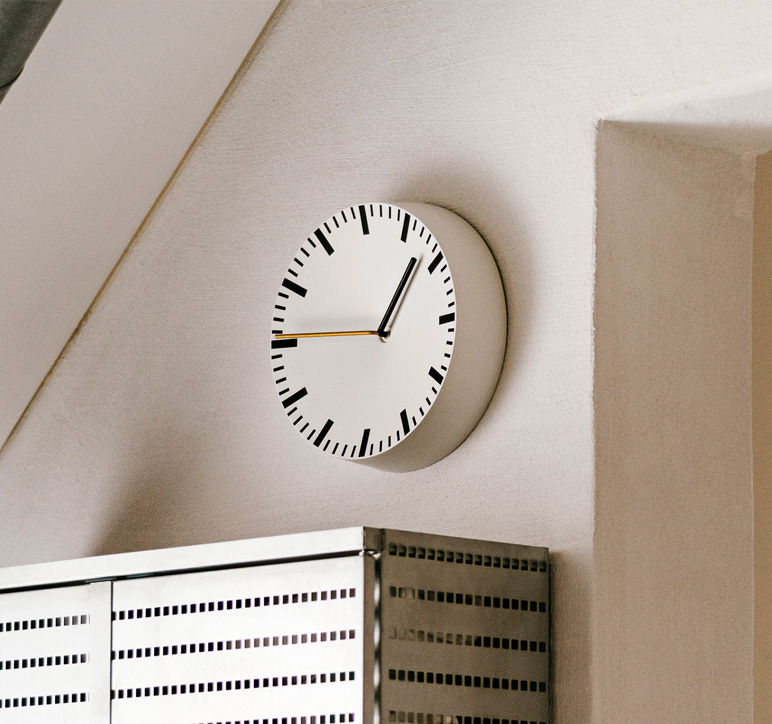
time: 1:07
